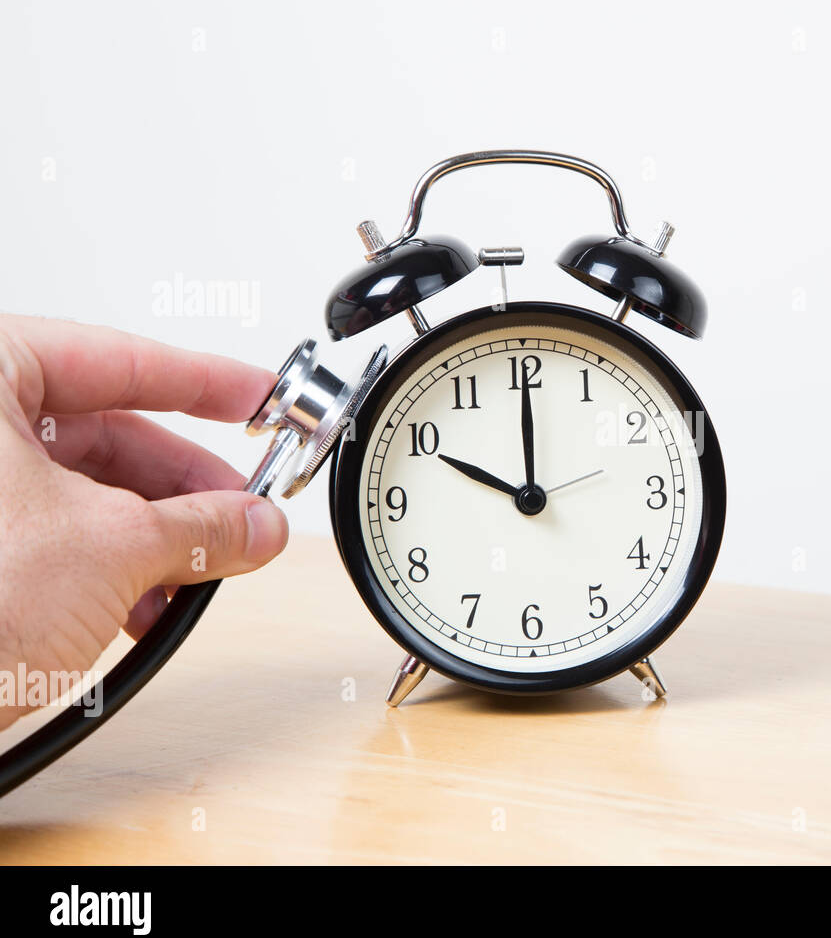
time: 10:00
